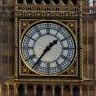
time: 1:36
